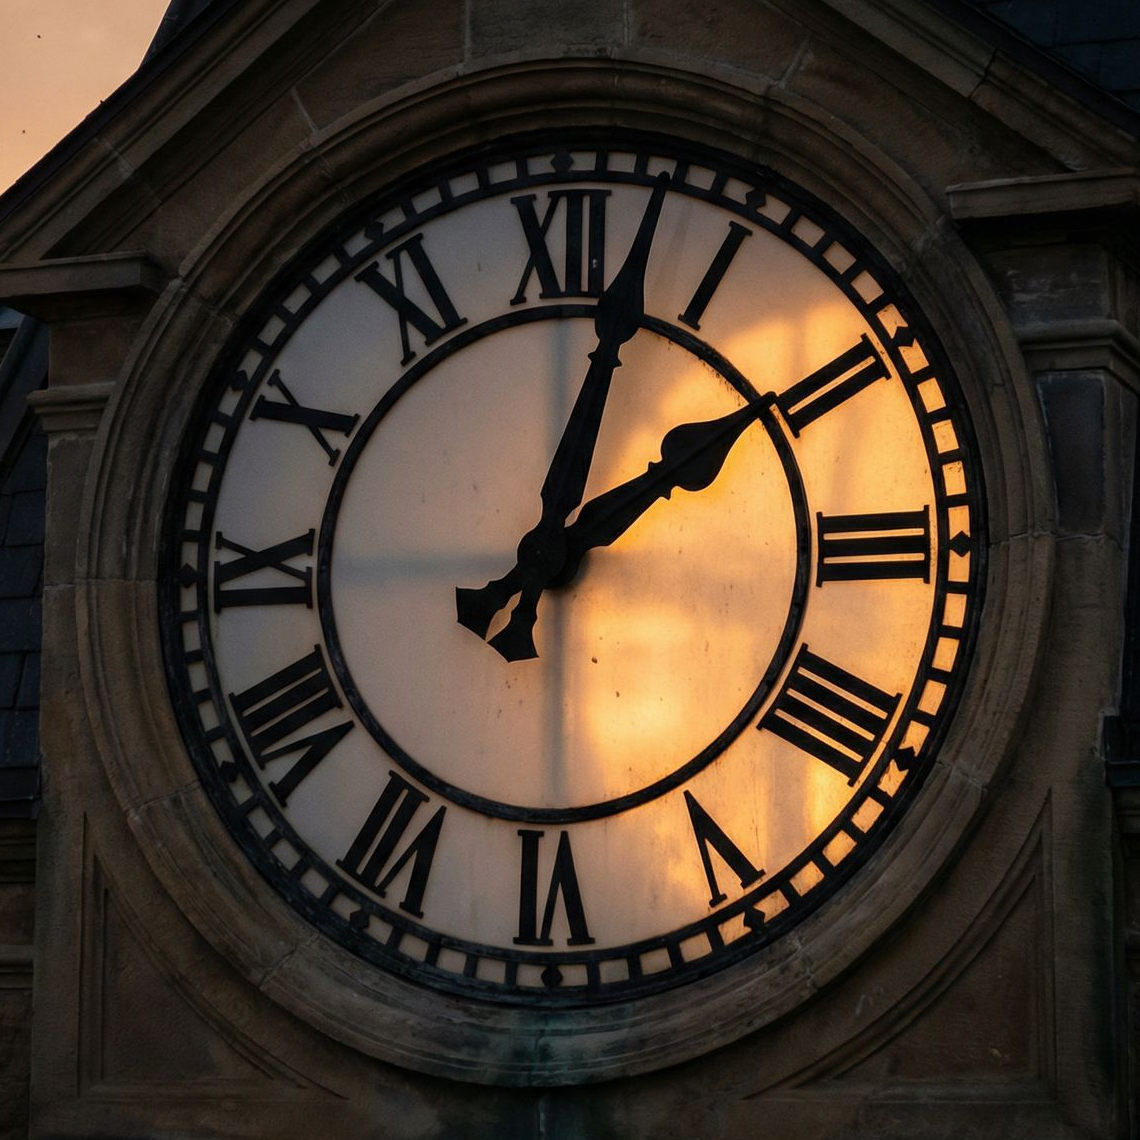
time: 2:02
